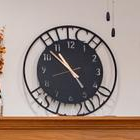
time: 10:52
